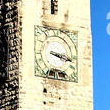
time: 3:17
